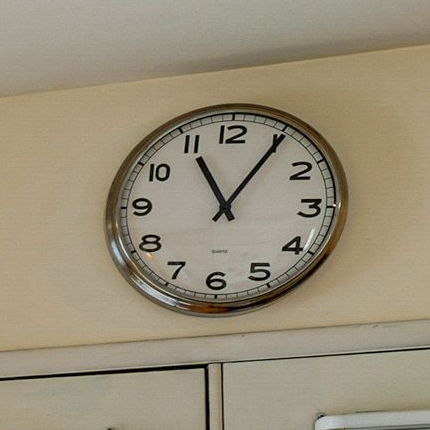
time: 11:05
